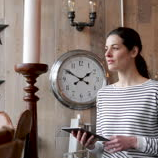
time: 1:50
